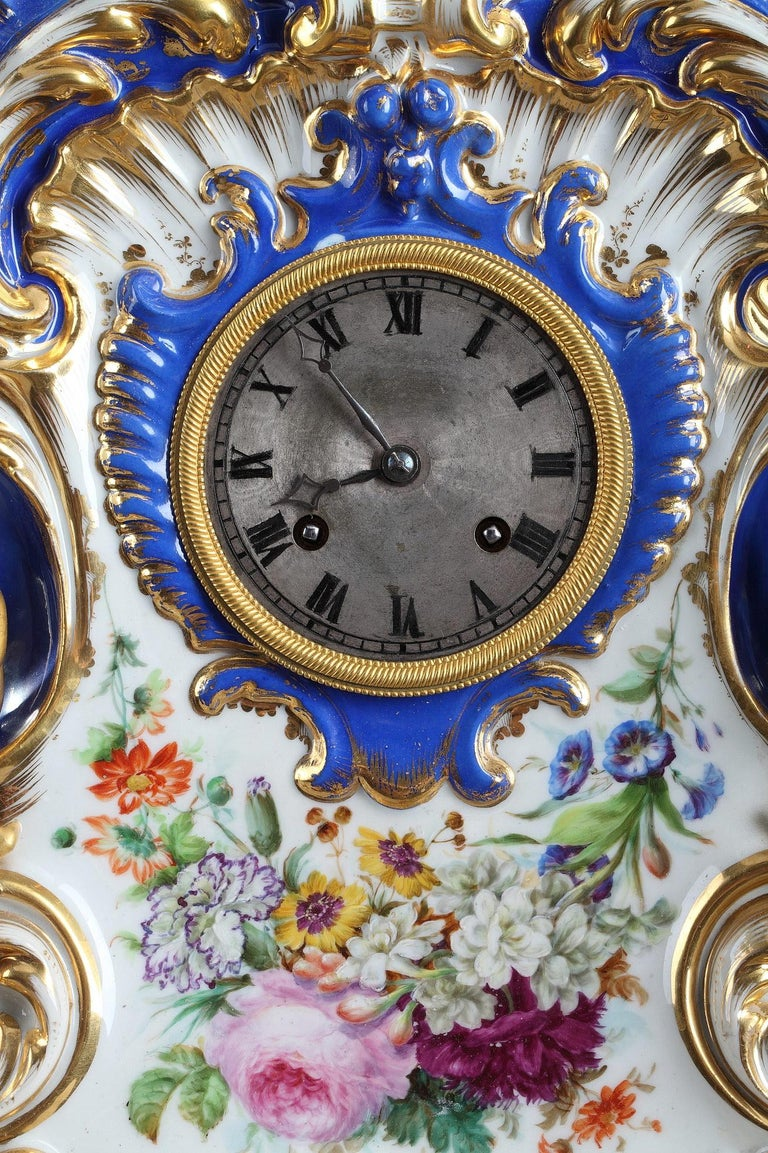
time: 10:41
